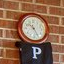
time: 10:25
